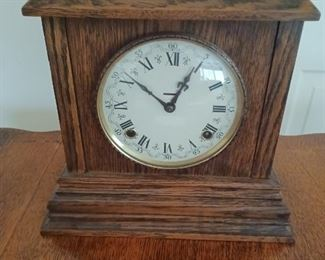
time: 12:51
